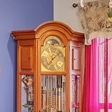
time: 7:07
